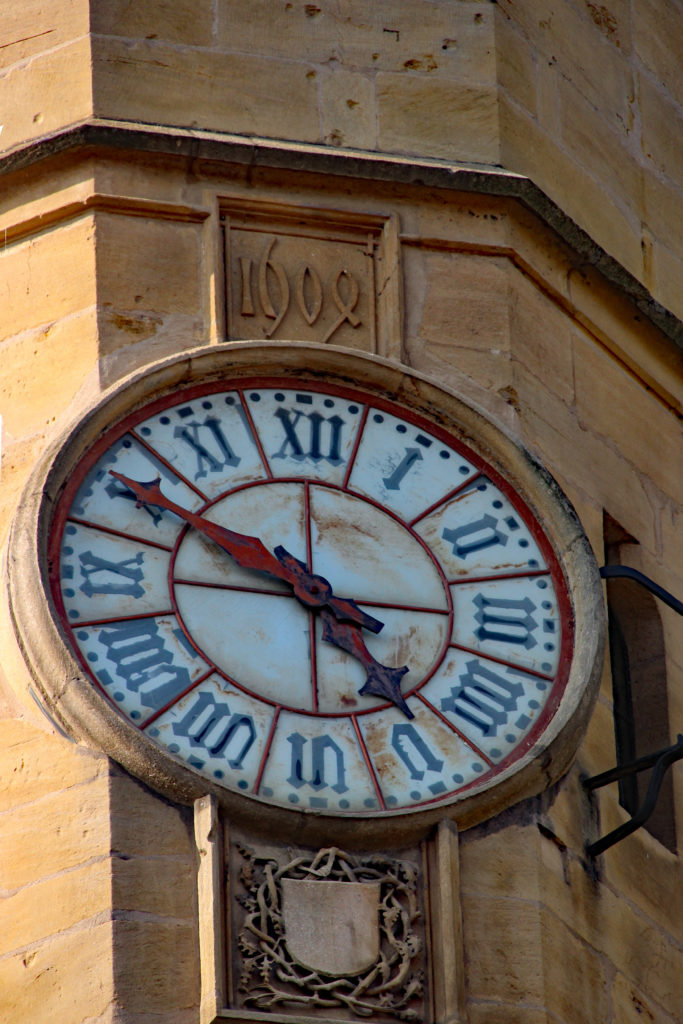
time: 4:49
